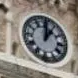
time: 1:00
